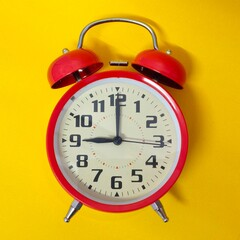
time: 9:00
